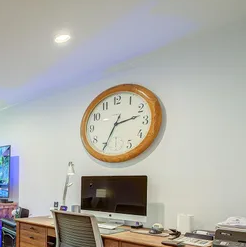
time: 2:34
